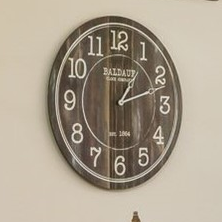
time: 1:11
